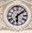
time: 6:08
